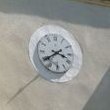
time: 3:39
